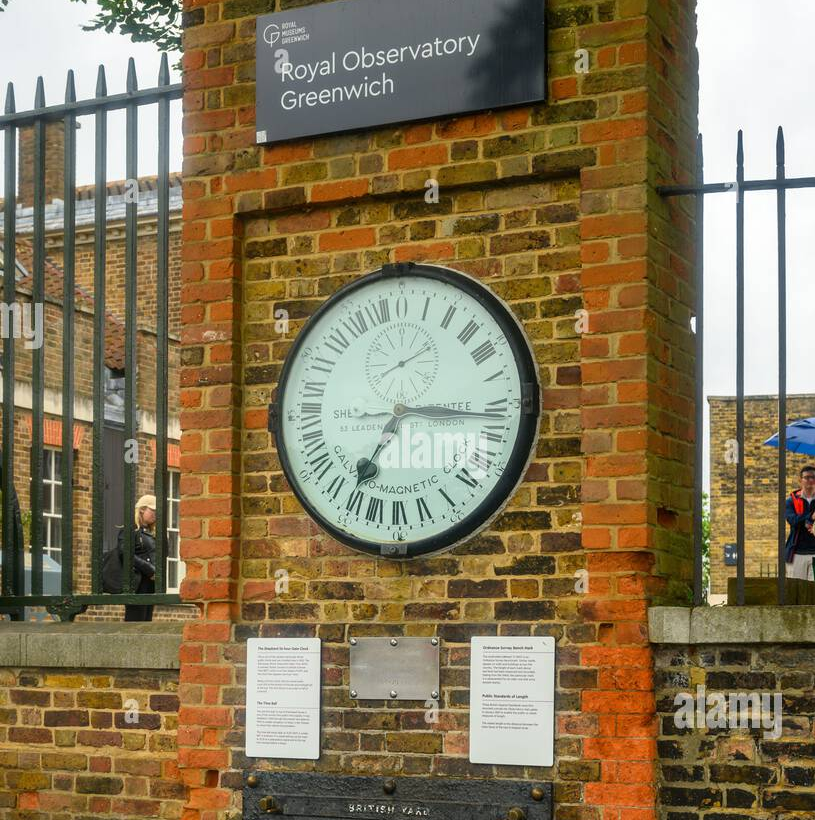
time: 7:15
